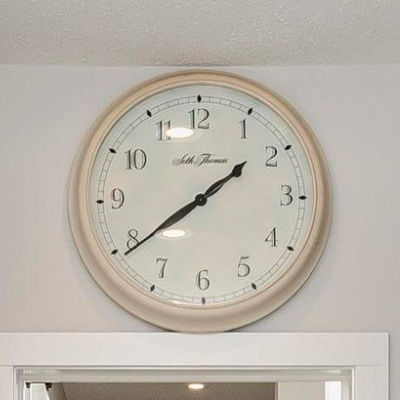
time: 1:39
